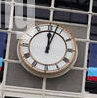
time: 12:02
